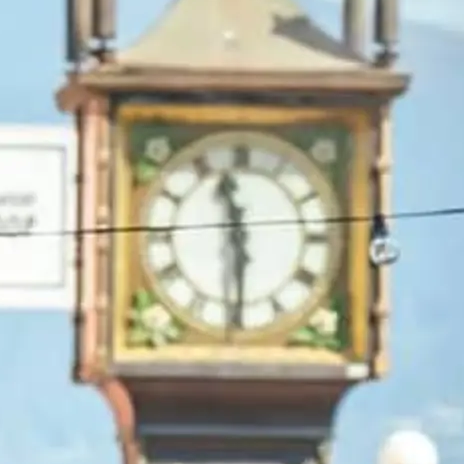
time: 11:29
